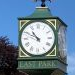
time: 10:49
